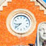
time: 8:38
